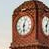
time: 6:03
